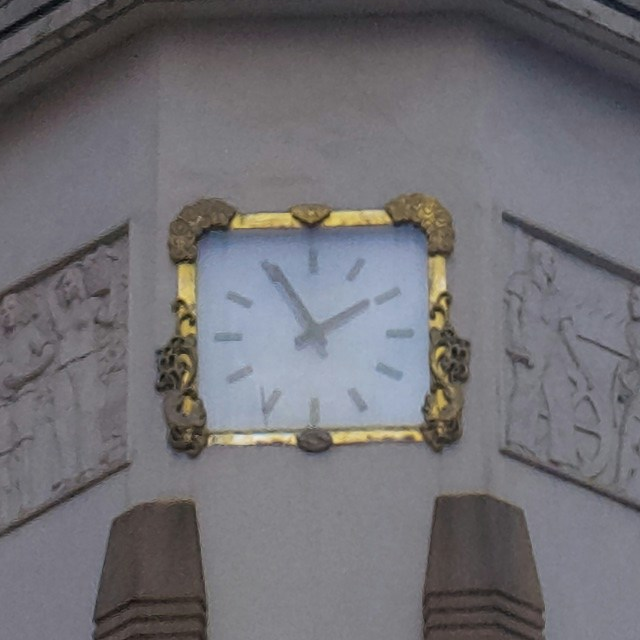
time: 1:55
